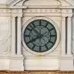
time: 7:52
